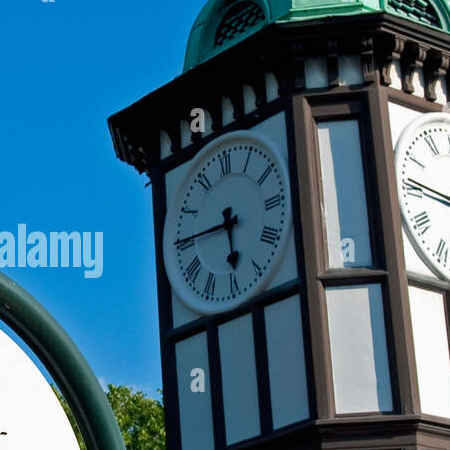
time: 5:45
